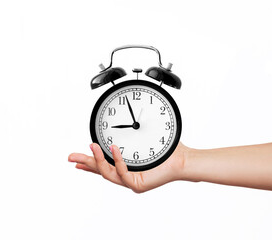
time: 8:56
